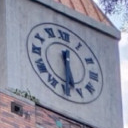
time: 5:30
